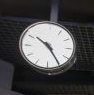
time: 10:24
